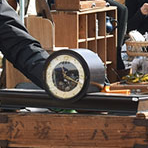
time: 11:19
